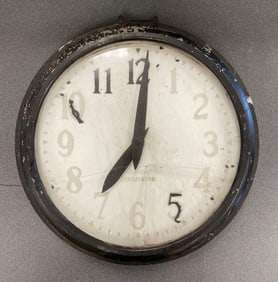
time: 7:01
